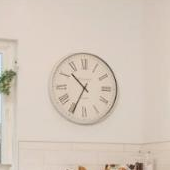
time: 10:34
